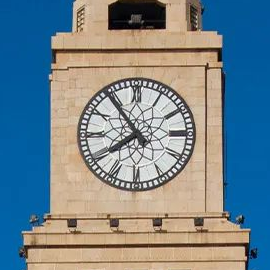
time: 7:53
